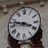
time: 3:47
